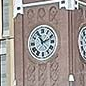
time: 11:11
